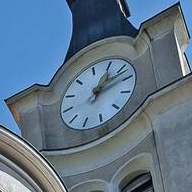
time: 12:07
